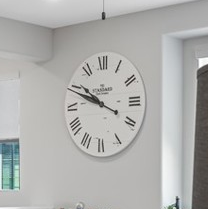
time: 9:50
